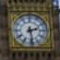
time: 2:28
